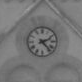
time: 2:23
